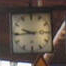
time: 9:44
